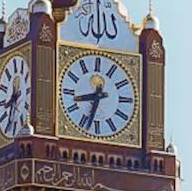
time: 8:32
